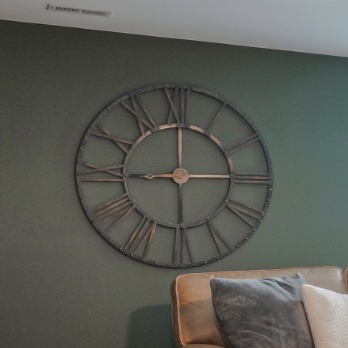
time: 9:00
